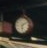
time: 6:10
